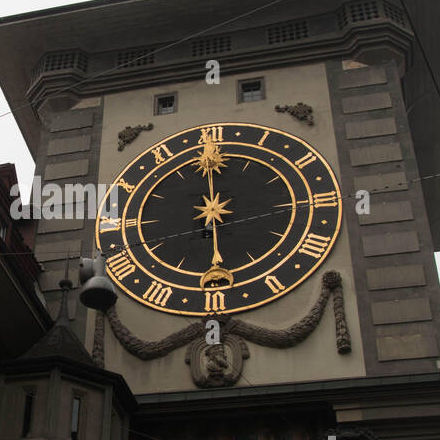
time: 5:59
